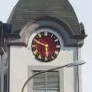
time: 5:48
